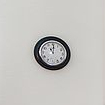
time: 11:00
